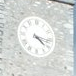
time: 4:16
